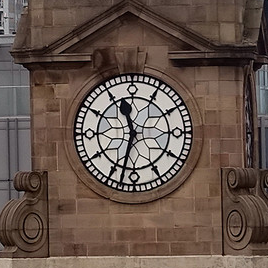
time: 11:32
